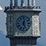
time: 12:26
